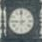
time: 8:59
